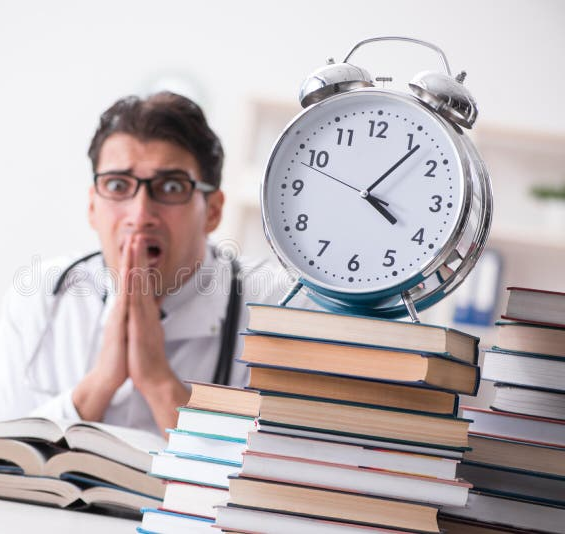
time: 4:06
